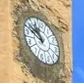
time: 10:50
